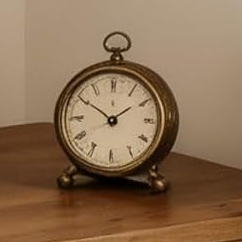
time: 1:50
